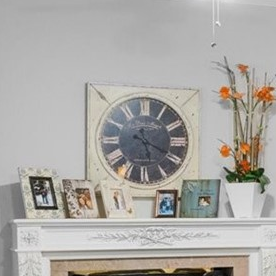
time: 5:19
